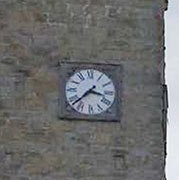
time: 3:37
